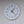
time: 1:22
